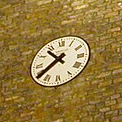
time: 10:38
